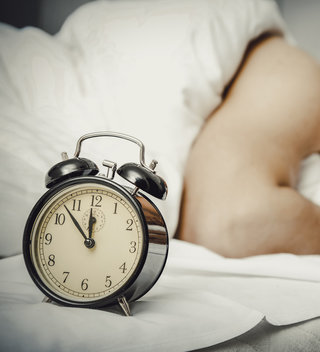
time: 11:52
